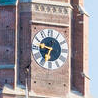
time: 6:47
